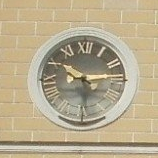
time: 10:13
